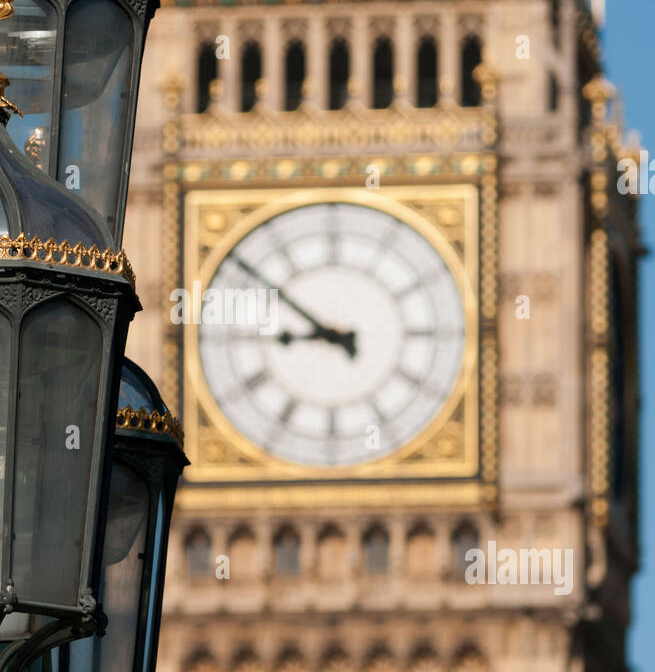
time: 8:51
